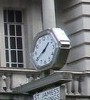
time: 1:39
